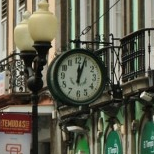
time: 12:03
